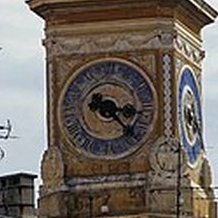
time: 3:22
